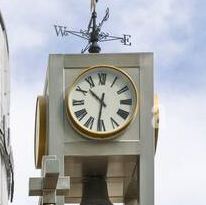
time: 10:31
